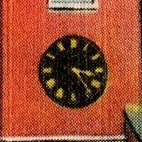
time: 3:23
